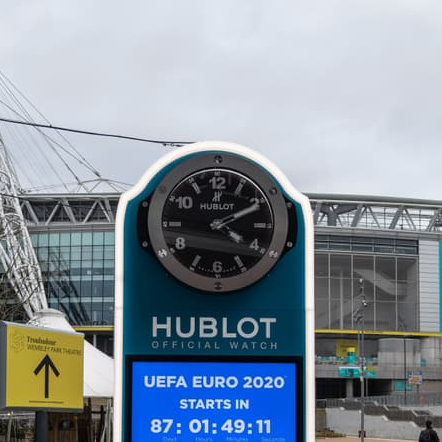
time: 4:10
